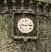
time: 9:14
